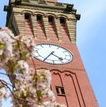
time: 4:35
